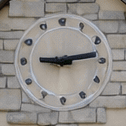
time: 9:13
